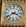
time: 3:39
